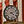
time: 4:12
